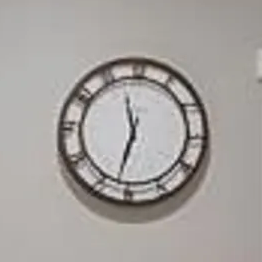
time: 11:32
